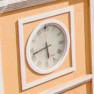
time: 5:42
